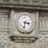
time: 3:32
